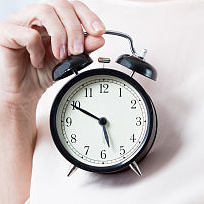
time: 5:49
